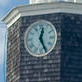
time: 12:25
